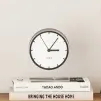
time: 3:05
